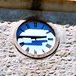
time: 2:45
